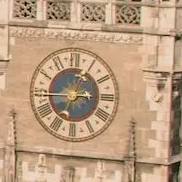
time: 2:44
